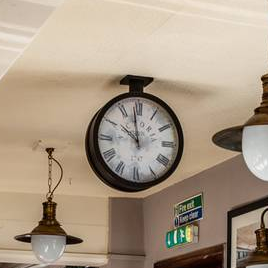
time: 9:58
